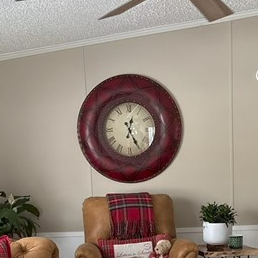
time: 12:24
